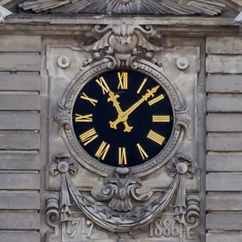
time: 11:08
